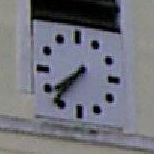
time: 7:36
